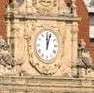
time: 12:03
